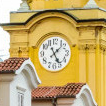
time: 5:07
